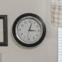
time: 3:02
